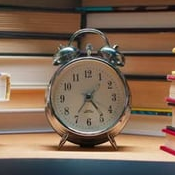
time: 4:35
